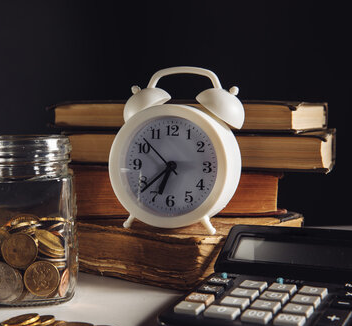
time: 6:38
